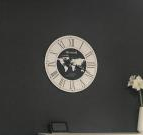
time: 7:18
